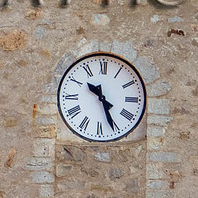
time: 10:26
